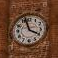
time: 3:57
